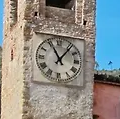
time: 11:06
